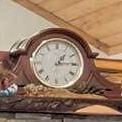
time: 1:14
